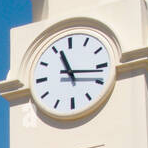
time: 11:16
